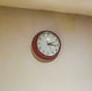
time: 2:16
